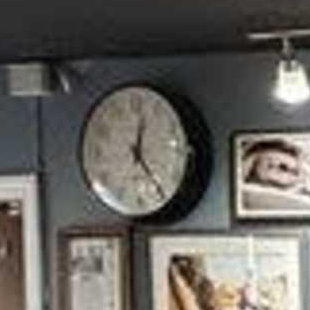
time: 12:23
